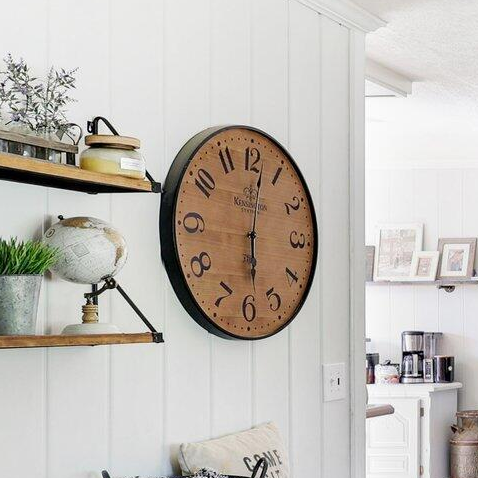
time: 6:01
